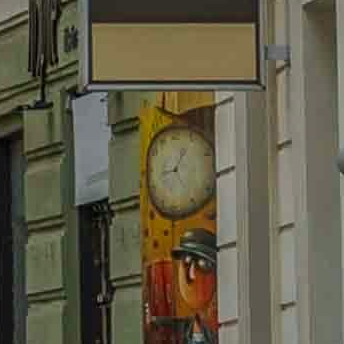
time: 12:42
